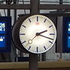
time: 2:18
